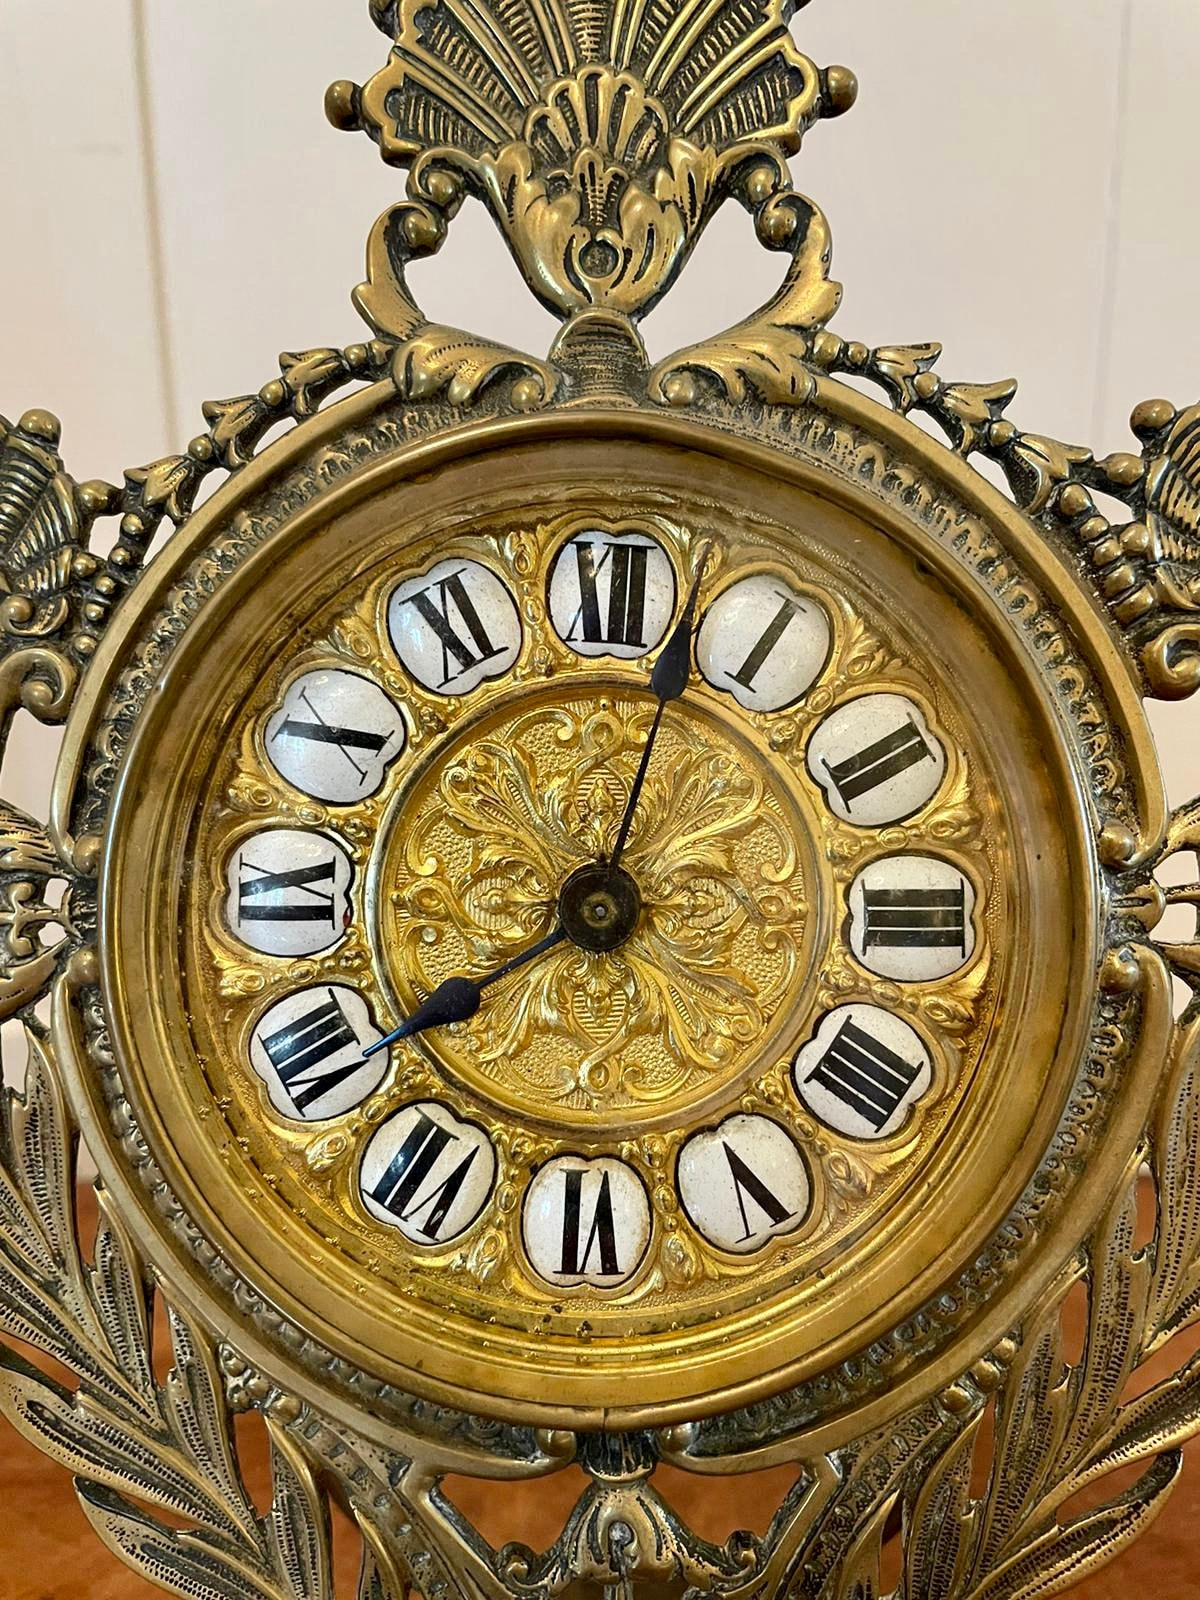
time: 8:02
